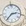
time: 2:36
